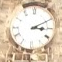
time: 3:10
